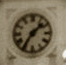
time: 1:35
